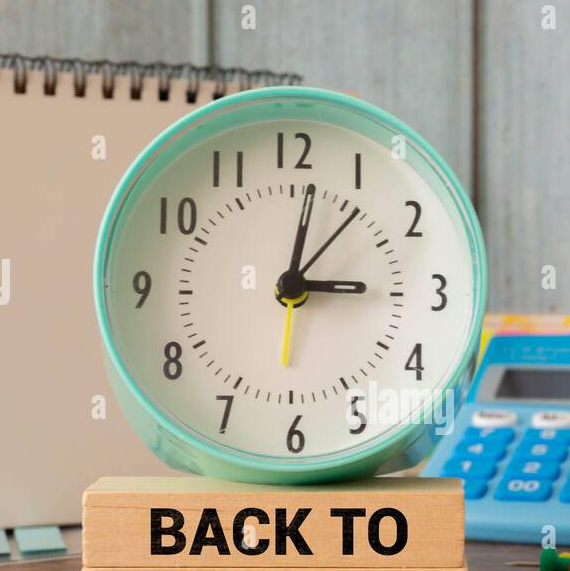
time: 3:01
